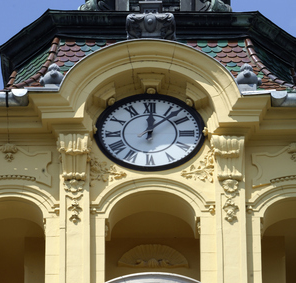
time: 12:07
